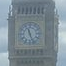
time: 11:26
